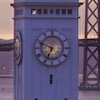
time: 6:48
